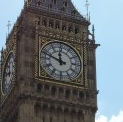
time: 11:48
